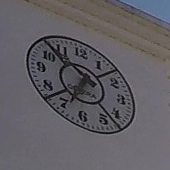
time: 6:52
